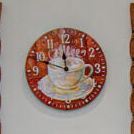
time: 11:48
